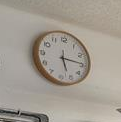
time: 5:14
